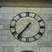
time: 7:36
